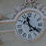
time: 11:20
